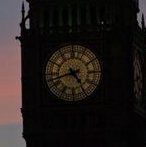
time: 4:42
